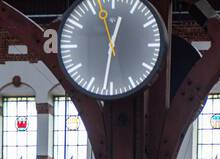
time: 12:31
